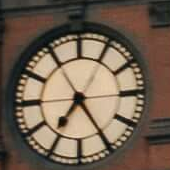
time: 7:24
